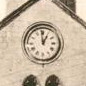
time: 12:59
